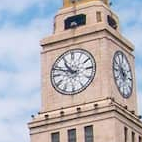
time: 10:48
